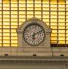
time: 6:11
